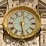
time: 12:28
